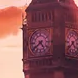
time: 4:38
